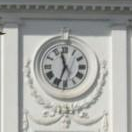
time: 11:33
